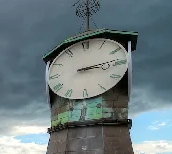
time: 3:13
